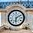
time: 6:10
